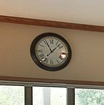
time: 11:07
